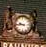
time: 9:44
